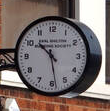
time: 10:28
